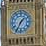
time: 1:34
